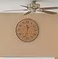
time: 11:32
